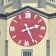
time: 2:26
